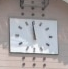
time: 11:59
